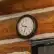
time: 9:34
